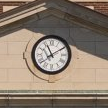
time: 11:09
